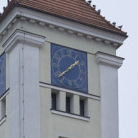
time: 1:37
